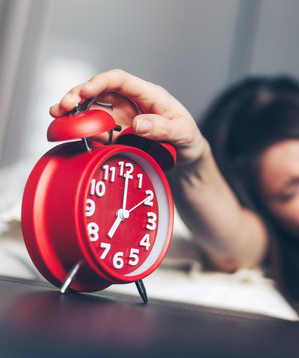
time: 7:01
